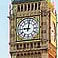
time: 9:01
